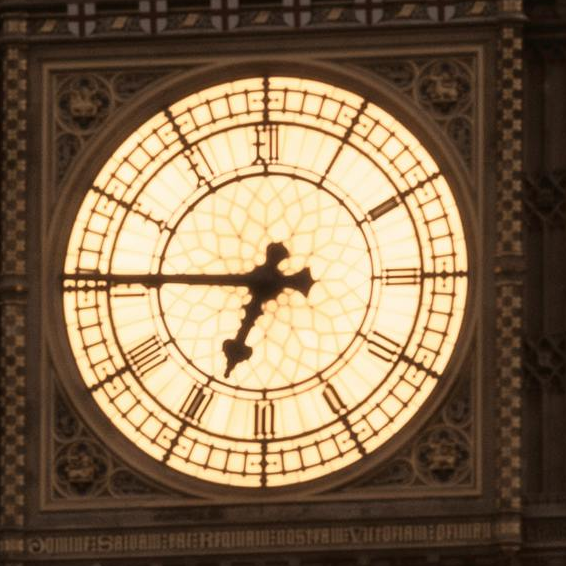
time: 6:45
